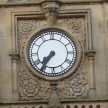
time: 7:36
